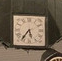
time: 5:36
